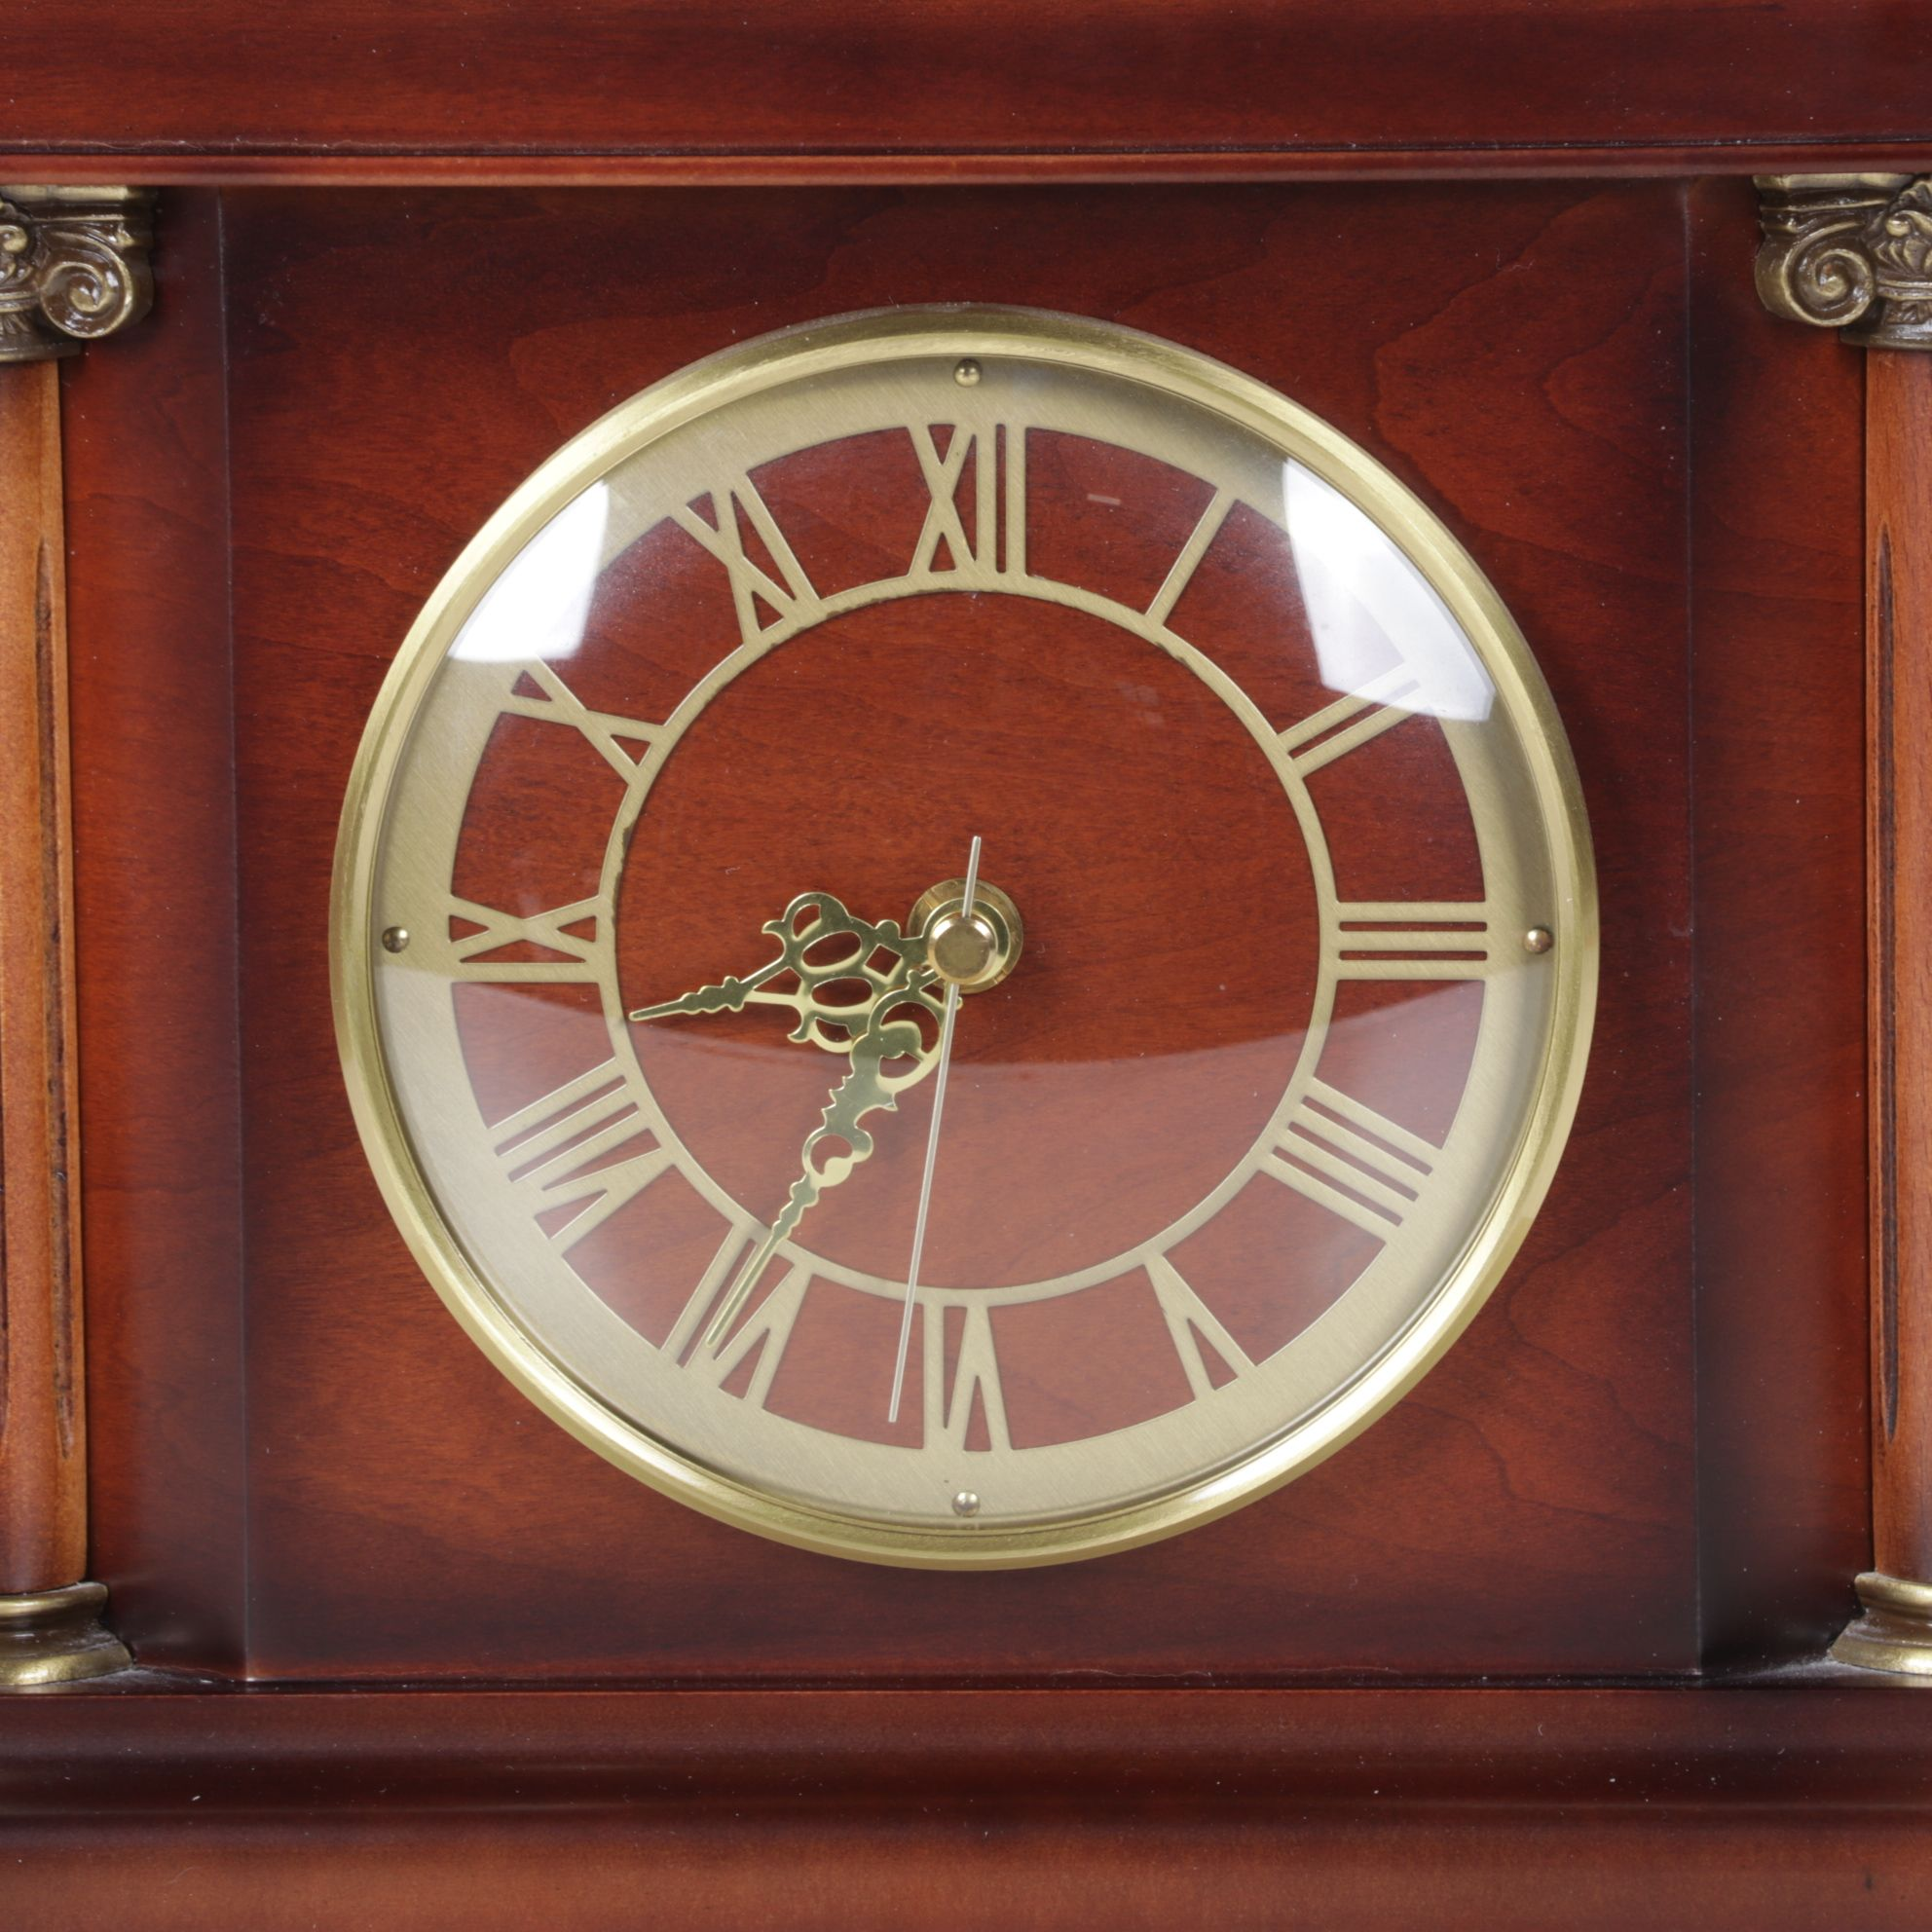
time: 8:35
